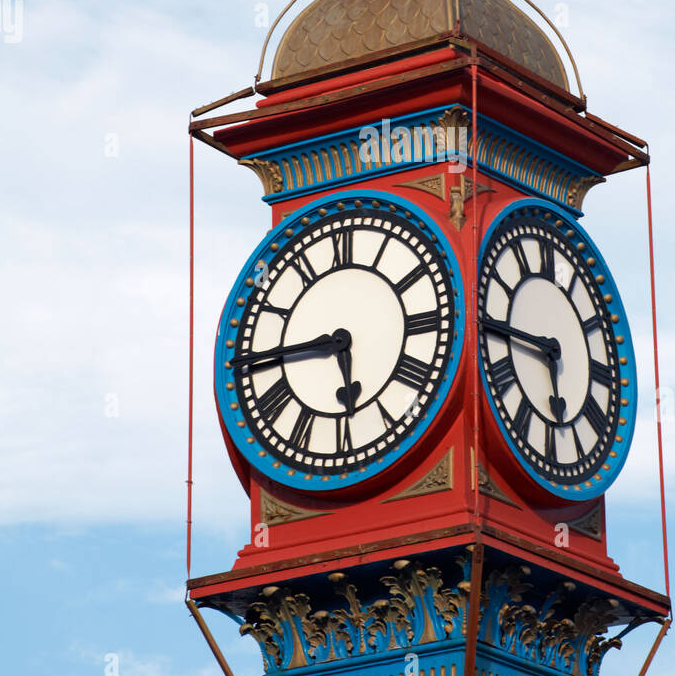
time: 5:44
